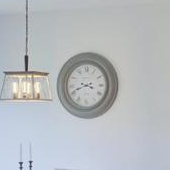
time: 3:41
